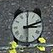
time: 3:12
